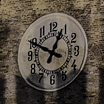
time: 12:49
